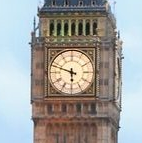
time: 5:48
